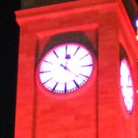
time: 12:21
